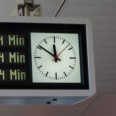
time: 11:50
